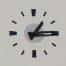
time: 1:14
